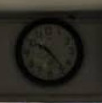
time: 10:23
